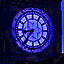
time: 8:35
